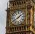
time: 1:39
